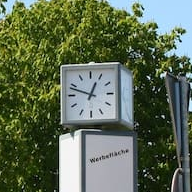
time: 12:48
